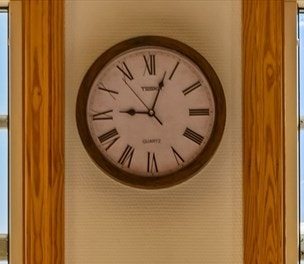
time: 9:03
